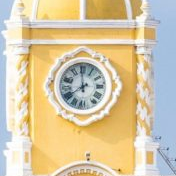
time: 7:59
